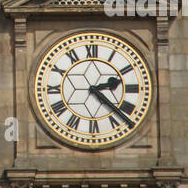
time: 2:22
